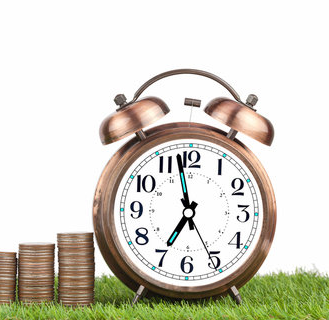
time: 6:58
